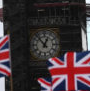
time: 12:53
